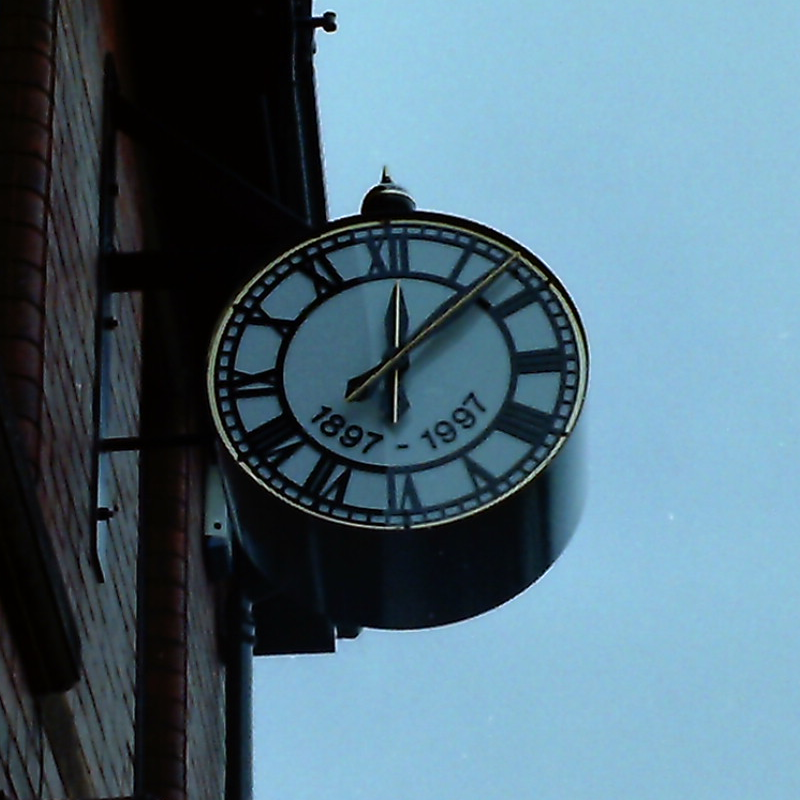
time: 12:07
